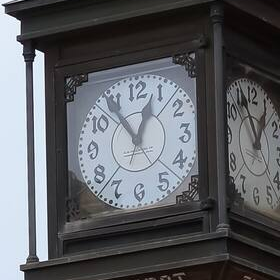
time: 12:54
